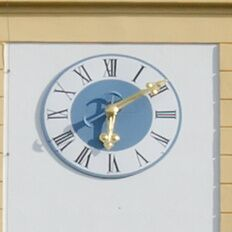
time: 6:09
